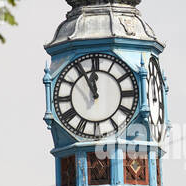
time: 11:55
